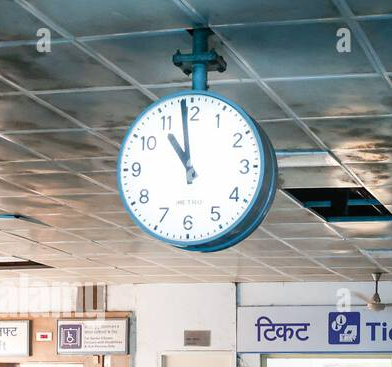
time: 10:58
